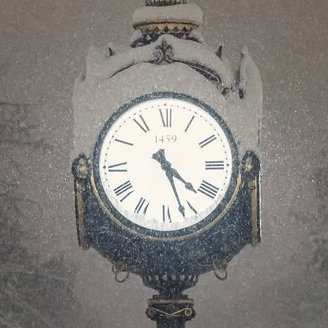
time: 4:26
